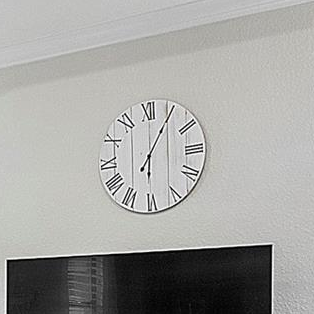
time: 6:05
